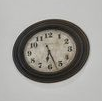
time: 6:26
